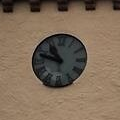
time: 10:48
